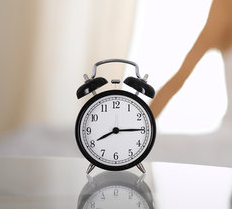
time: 8:14
